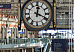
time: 12:19
